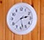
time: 2:28
